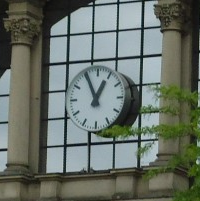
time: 12:55
